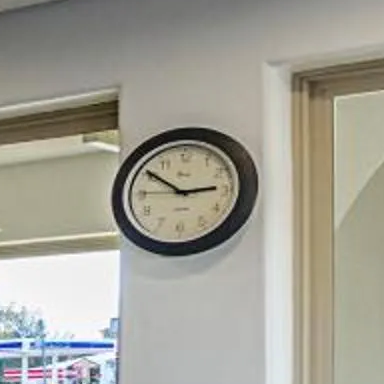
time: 2:50
